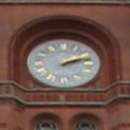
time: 2:12
